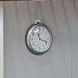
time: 11:18
